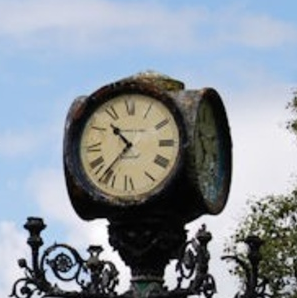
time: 10:36
